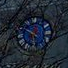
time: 5:49
